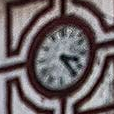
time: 3:23
